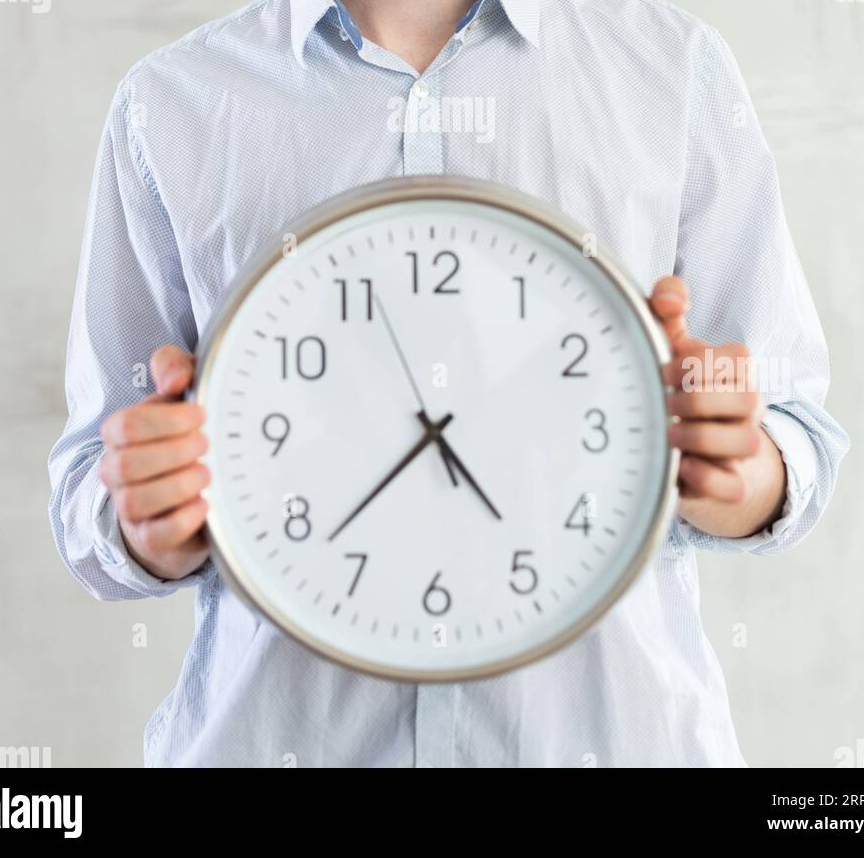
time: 4:37
